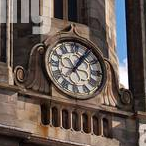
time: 1:06
